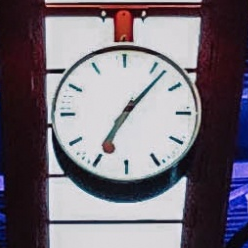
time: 7:07
